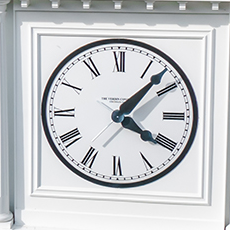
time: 4:07
